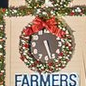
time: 5:26
